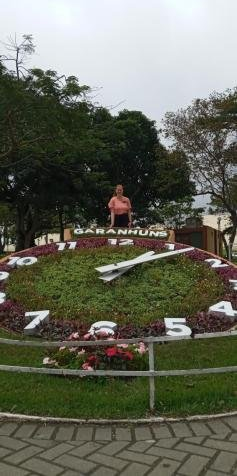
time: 2:12
